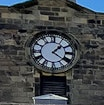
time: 1:21
